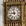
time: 8:57
